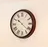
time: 10:21
